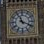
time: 11:18
